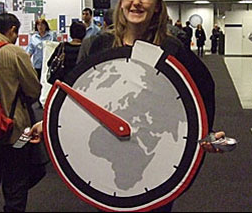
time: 9:50
